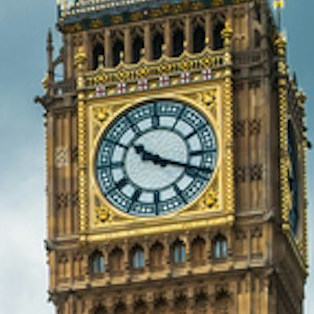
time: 10:18
